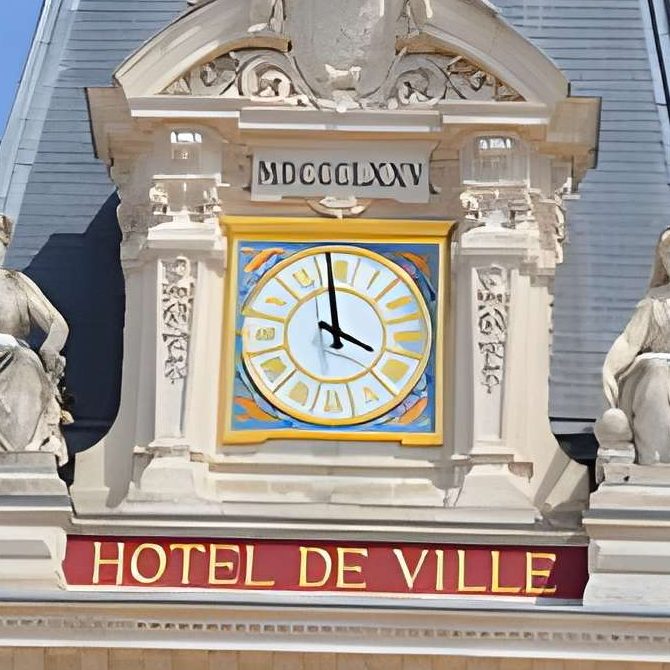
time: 3:58
